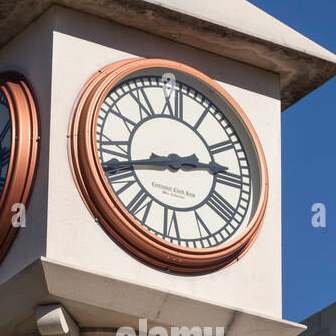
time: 2:42
